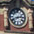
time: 2:40
